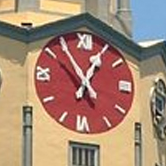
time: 12:54
